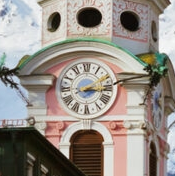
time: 3:11
